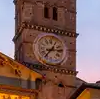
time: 2:36
